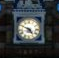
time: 4:49
